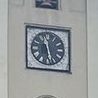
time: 11:28
